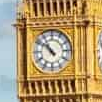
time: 10:51
